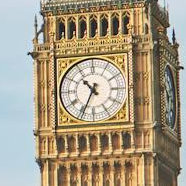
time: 10:34
